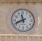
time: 11:41
